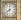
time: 8:01
